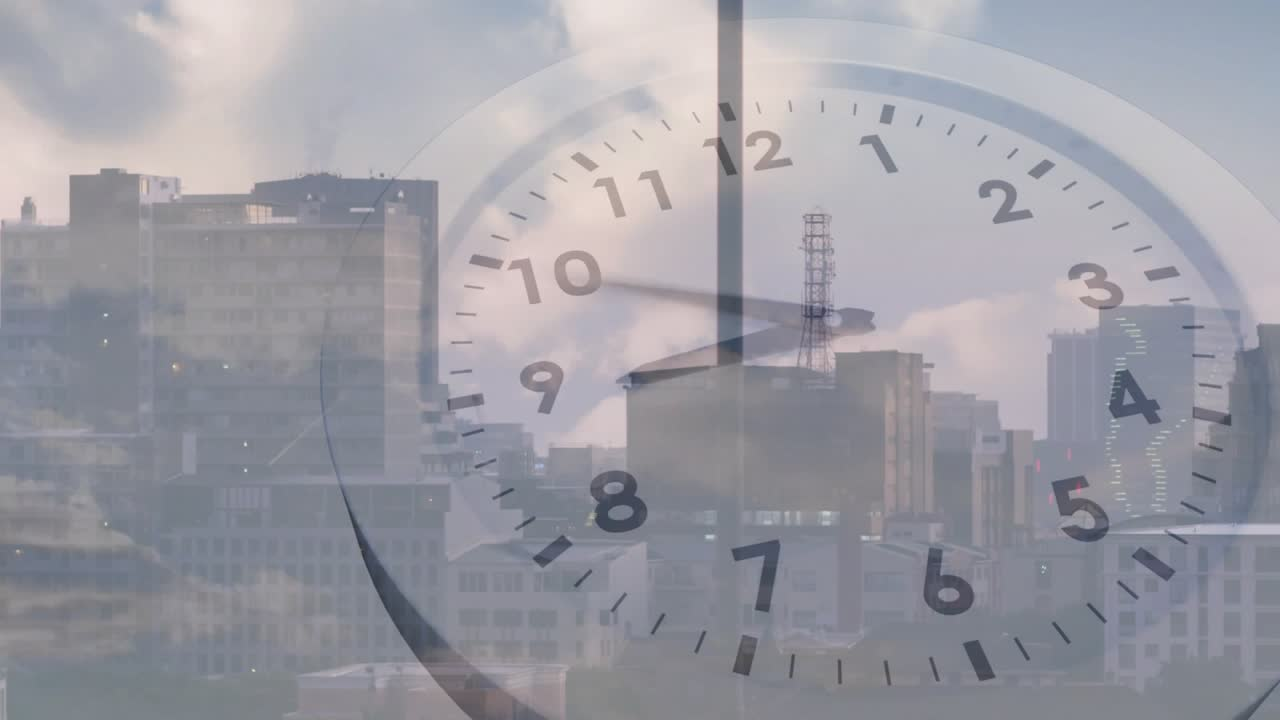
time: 9:00
